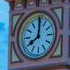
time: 8:01
